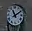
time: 11:09
